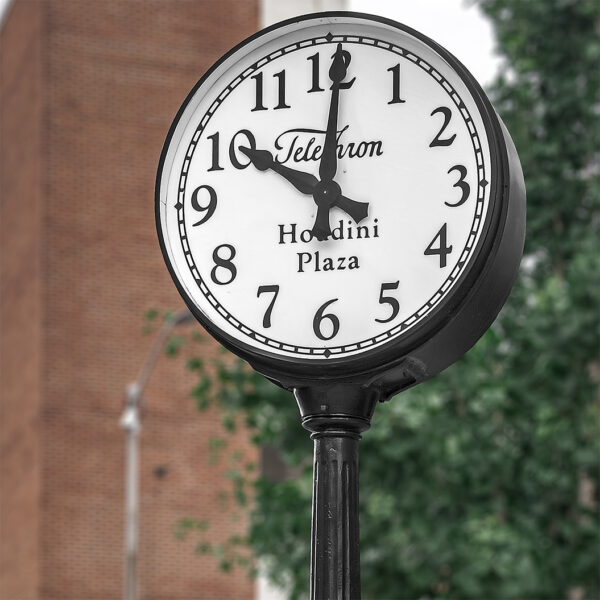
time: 10:00
